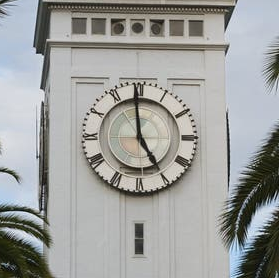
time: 4:59
